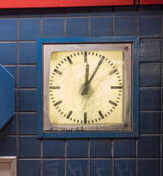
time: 12:05
